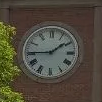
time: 1:45
